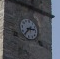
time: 2:36
